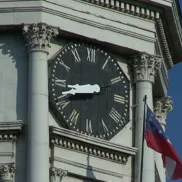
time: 8:41
